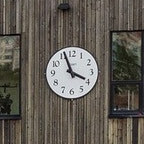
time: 3:56
